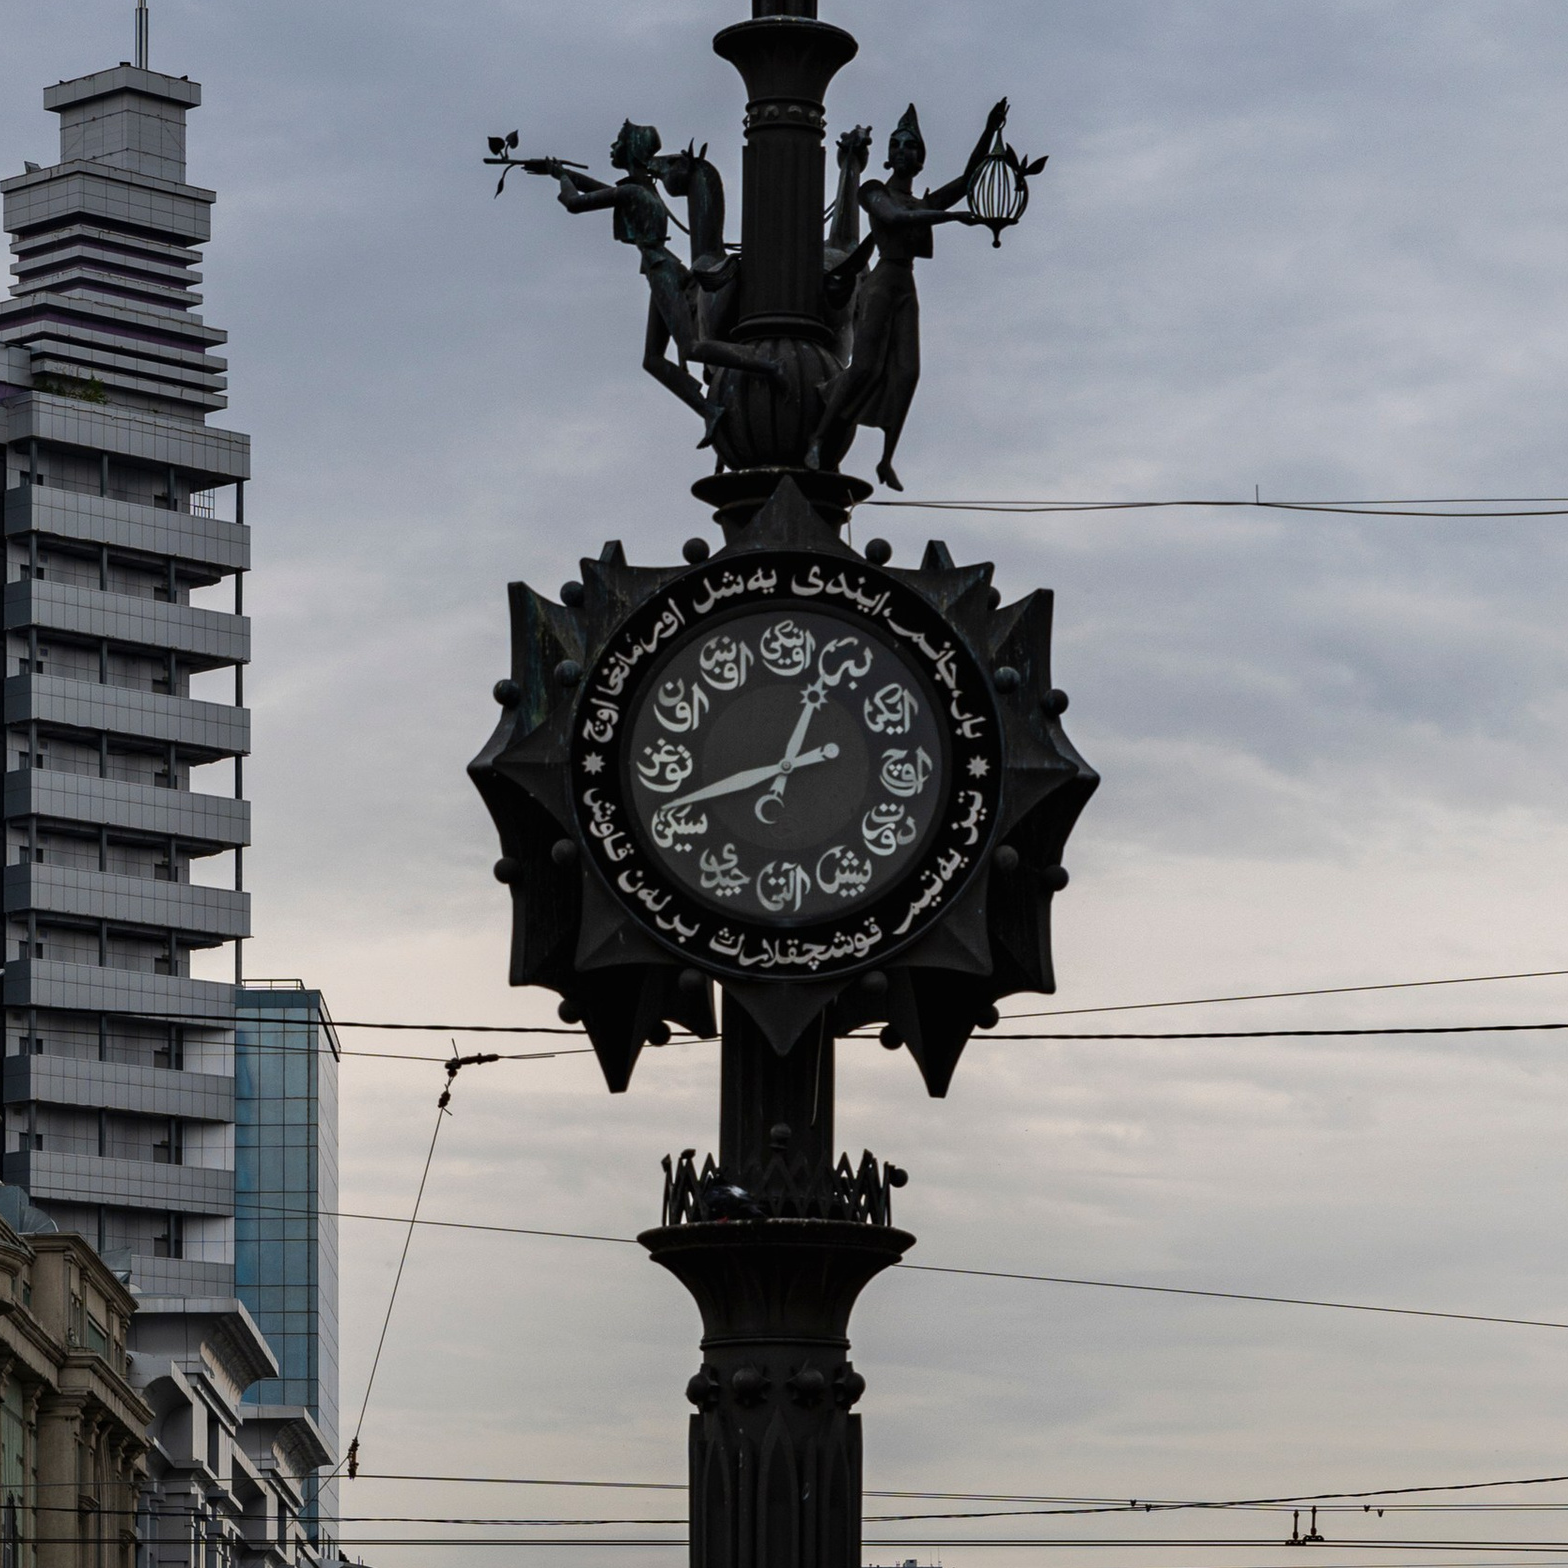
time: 12:41
